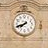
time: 7:41
